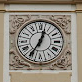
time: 12:35
